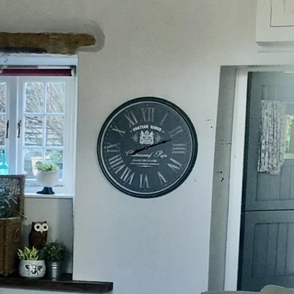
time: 2:11
